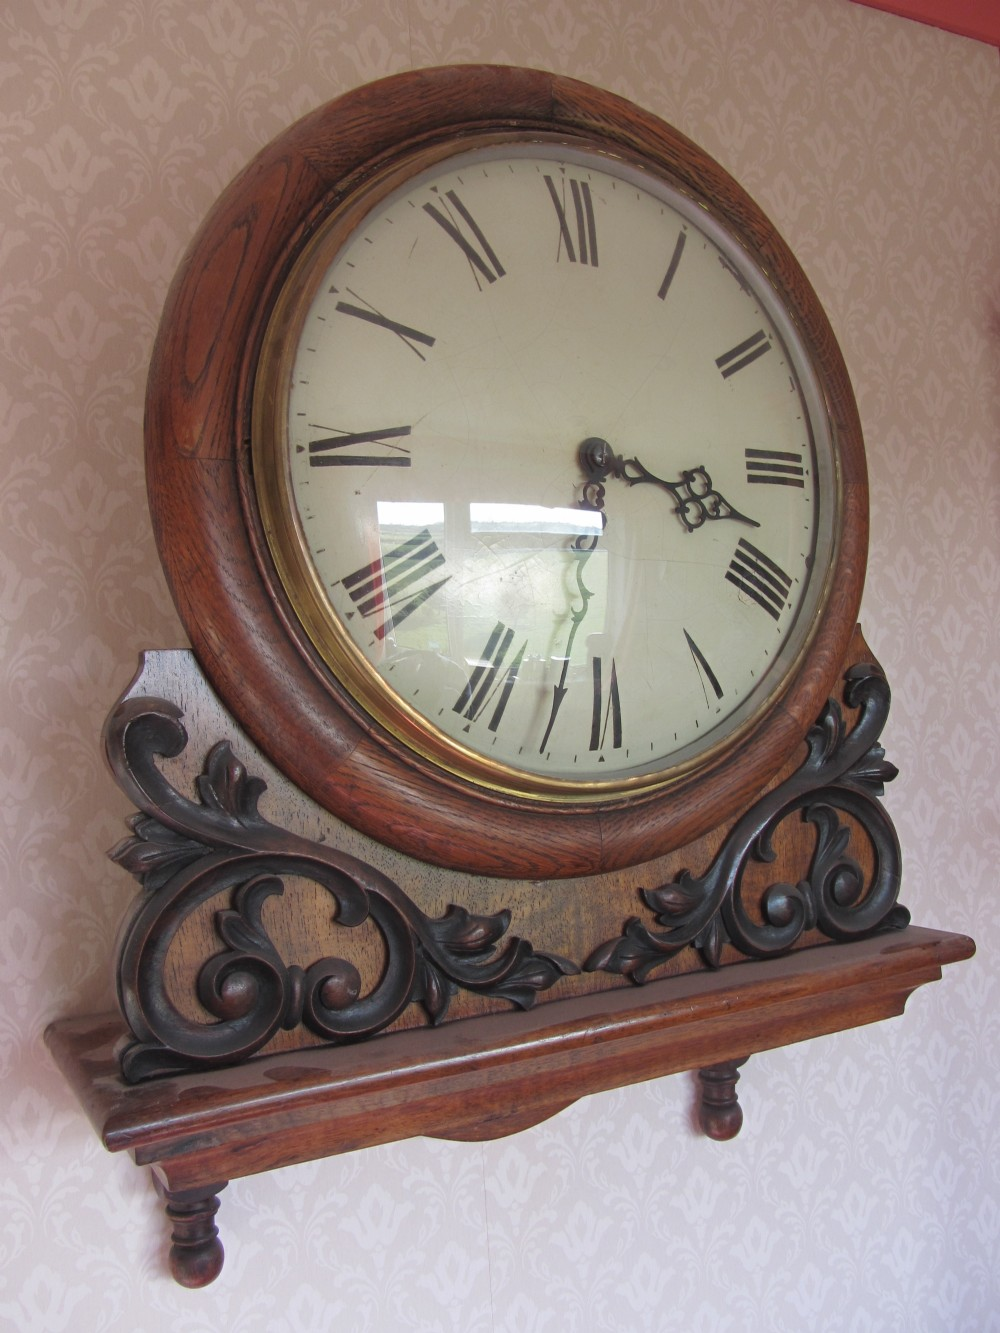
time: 3:31
